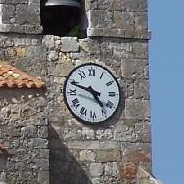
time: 4:48
